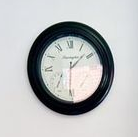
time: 1:30
